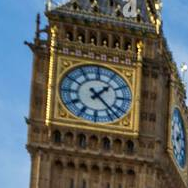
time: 1:22
